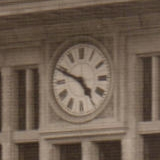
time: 4:48
